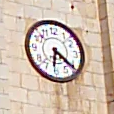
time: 6:21
